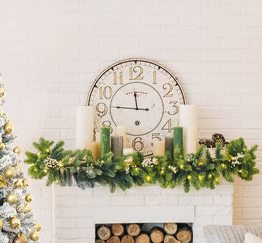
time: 11:46
